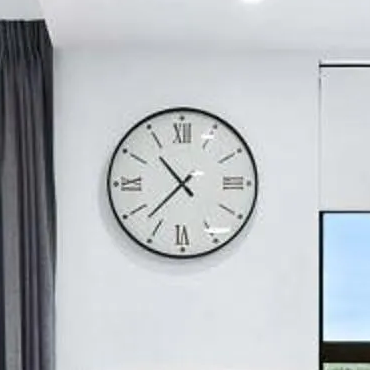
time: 10:37
